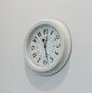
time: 12:27
